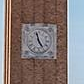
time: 4:57
